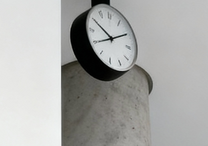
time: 7:49
